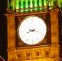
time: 8:18
